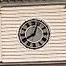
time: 8:03
